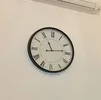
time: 11:13
